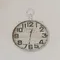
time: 12:31
